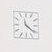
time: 11:21
